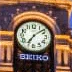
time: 7:08
